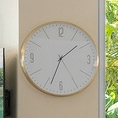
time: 1:33
